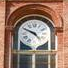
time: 4:49
